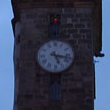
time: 5:17
